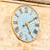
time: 5:09
